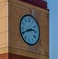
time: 2:40
